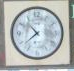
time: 10:38
